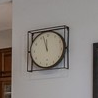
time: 11:56
